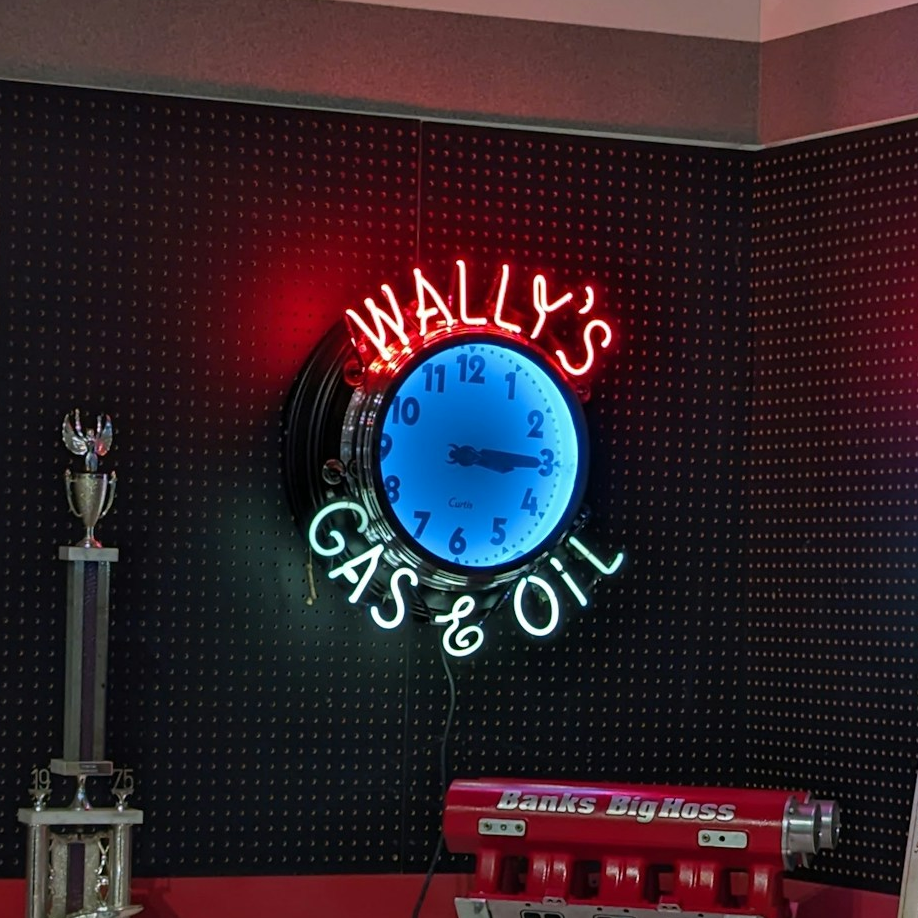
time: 3:15
